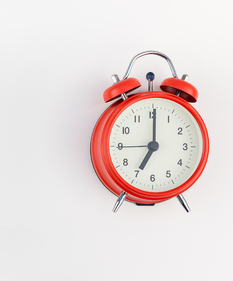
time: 7:00
